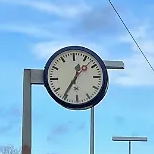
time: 12:35
